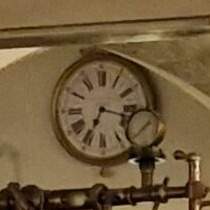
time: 7:17
